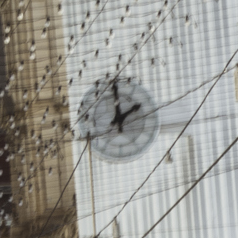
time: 1:59
